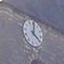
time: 4:00
